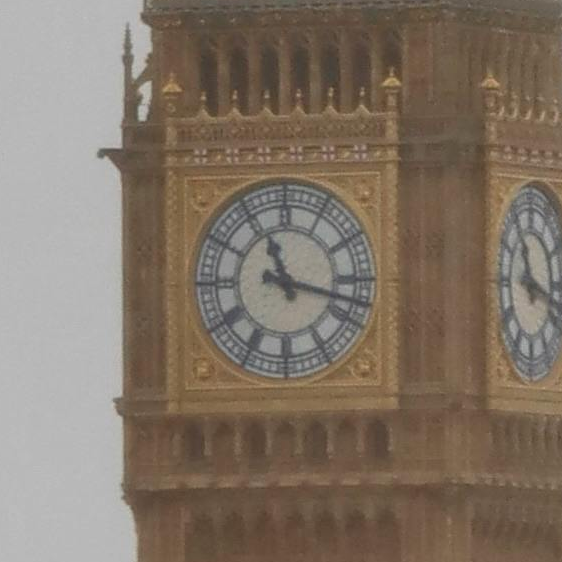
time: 11:17
